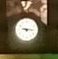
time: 9:15
